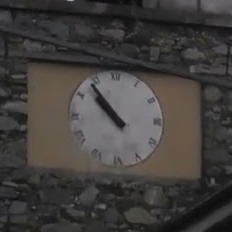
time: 10:53
